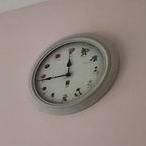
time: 11:44
